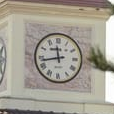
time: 11:43
